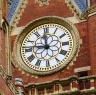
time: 11:46
